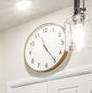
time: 11:24
